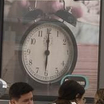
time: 6:00
